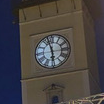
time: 5:57
